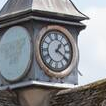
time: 1:20
